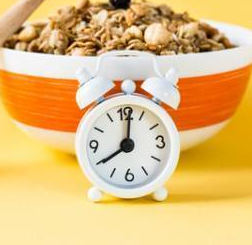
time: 8:01
